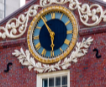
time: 5:54
